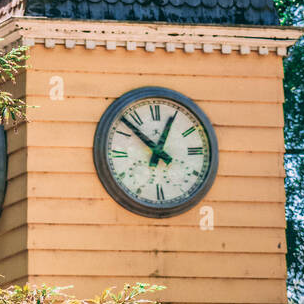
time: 12:52
